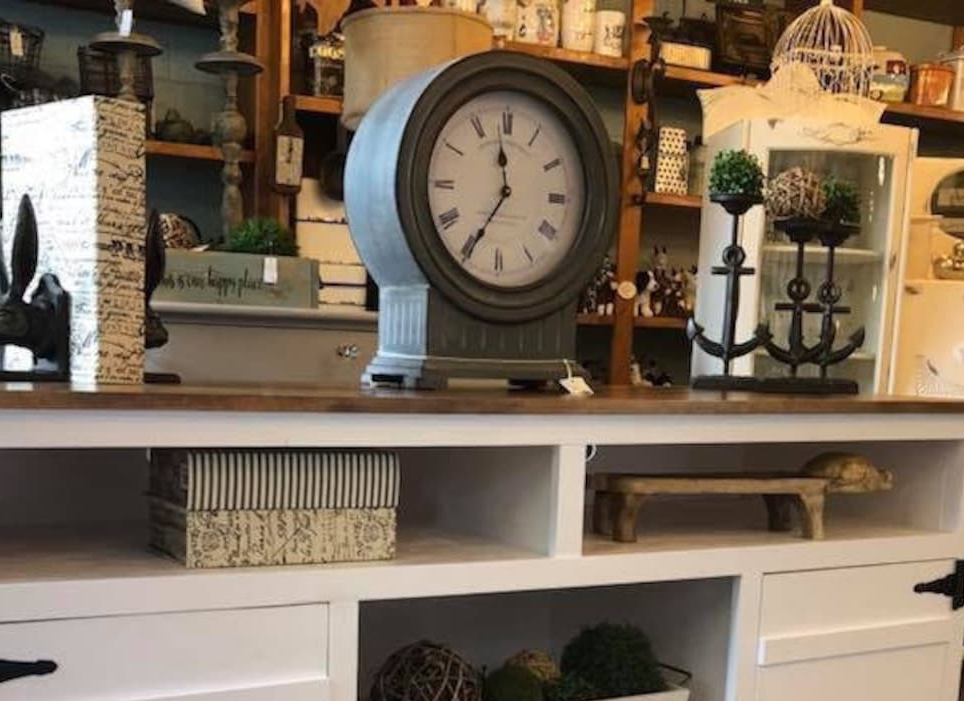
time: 11:35
